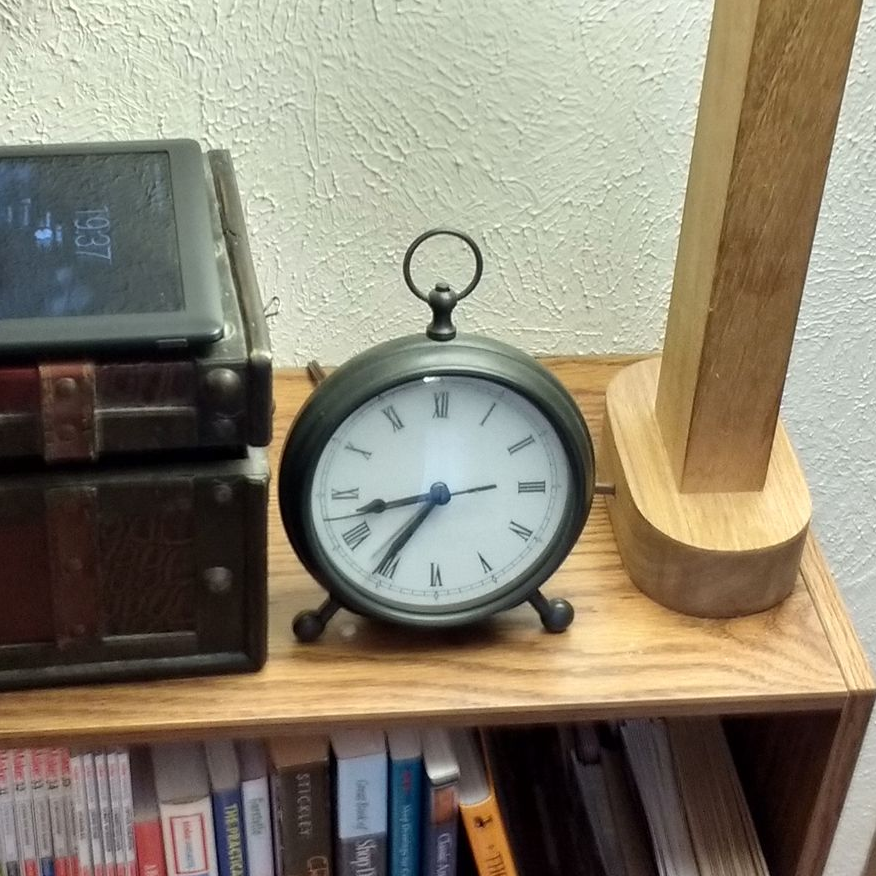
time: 8:35
